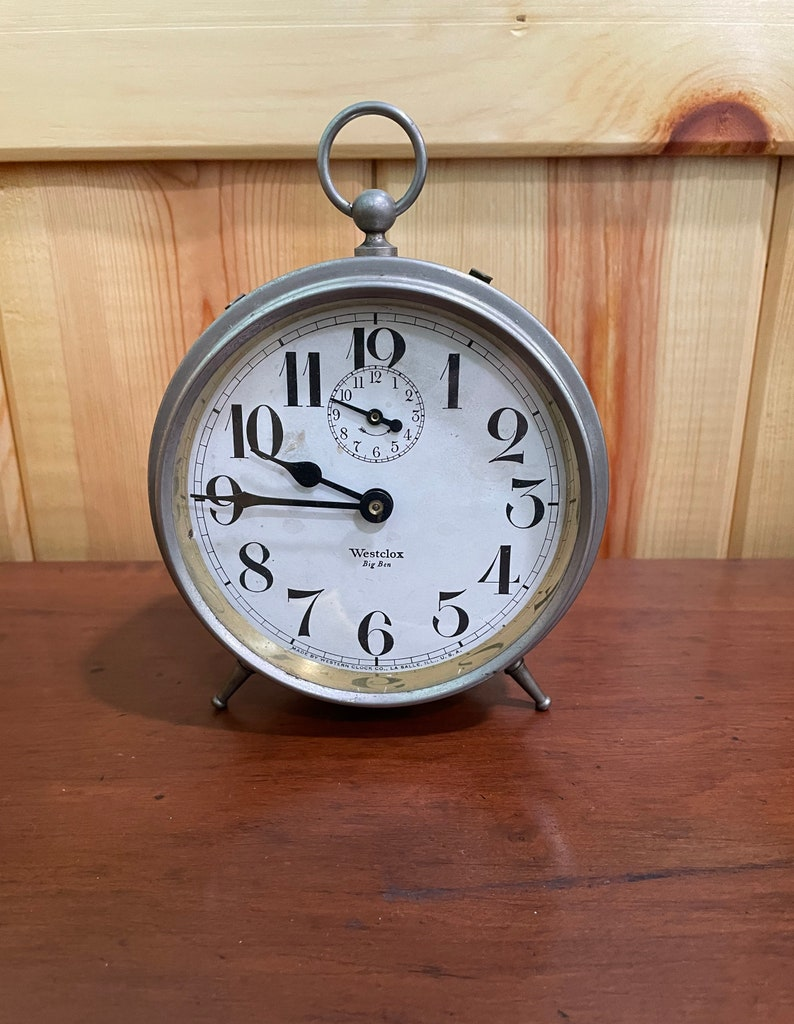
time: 9:45
